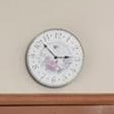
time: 2:52
